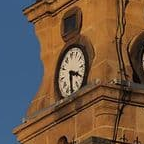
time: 6:19
